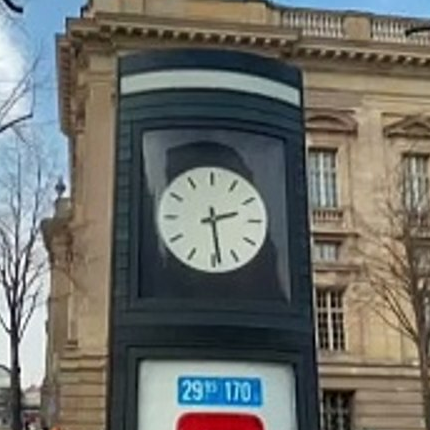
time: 2:28
